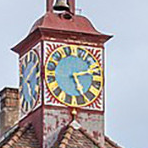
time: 5:11
